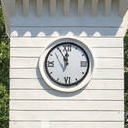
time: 11:55
